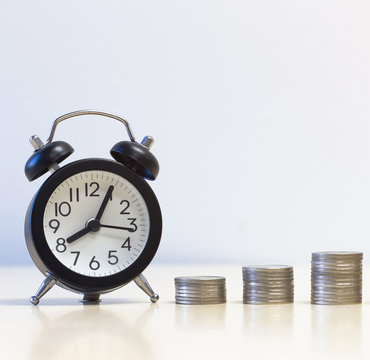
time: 8:04
